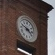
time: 3:48
